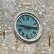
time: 2:46
